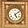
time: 5:08
